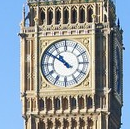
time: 10:50
